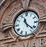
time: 11:22
